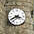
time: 3:40
